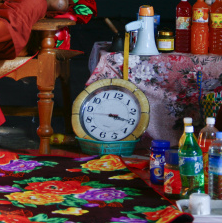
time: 3:15
